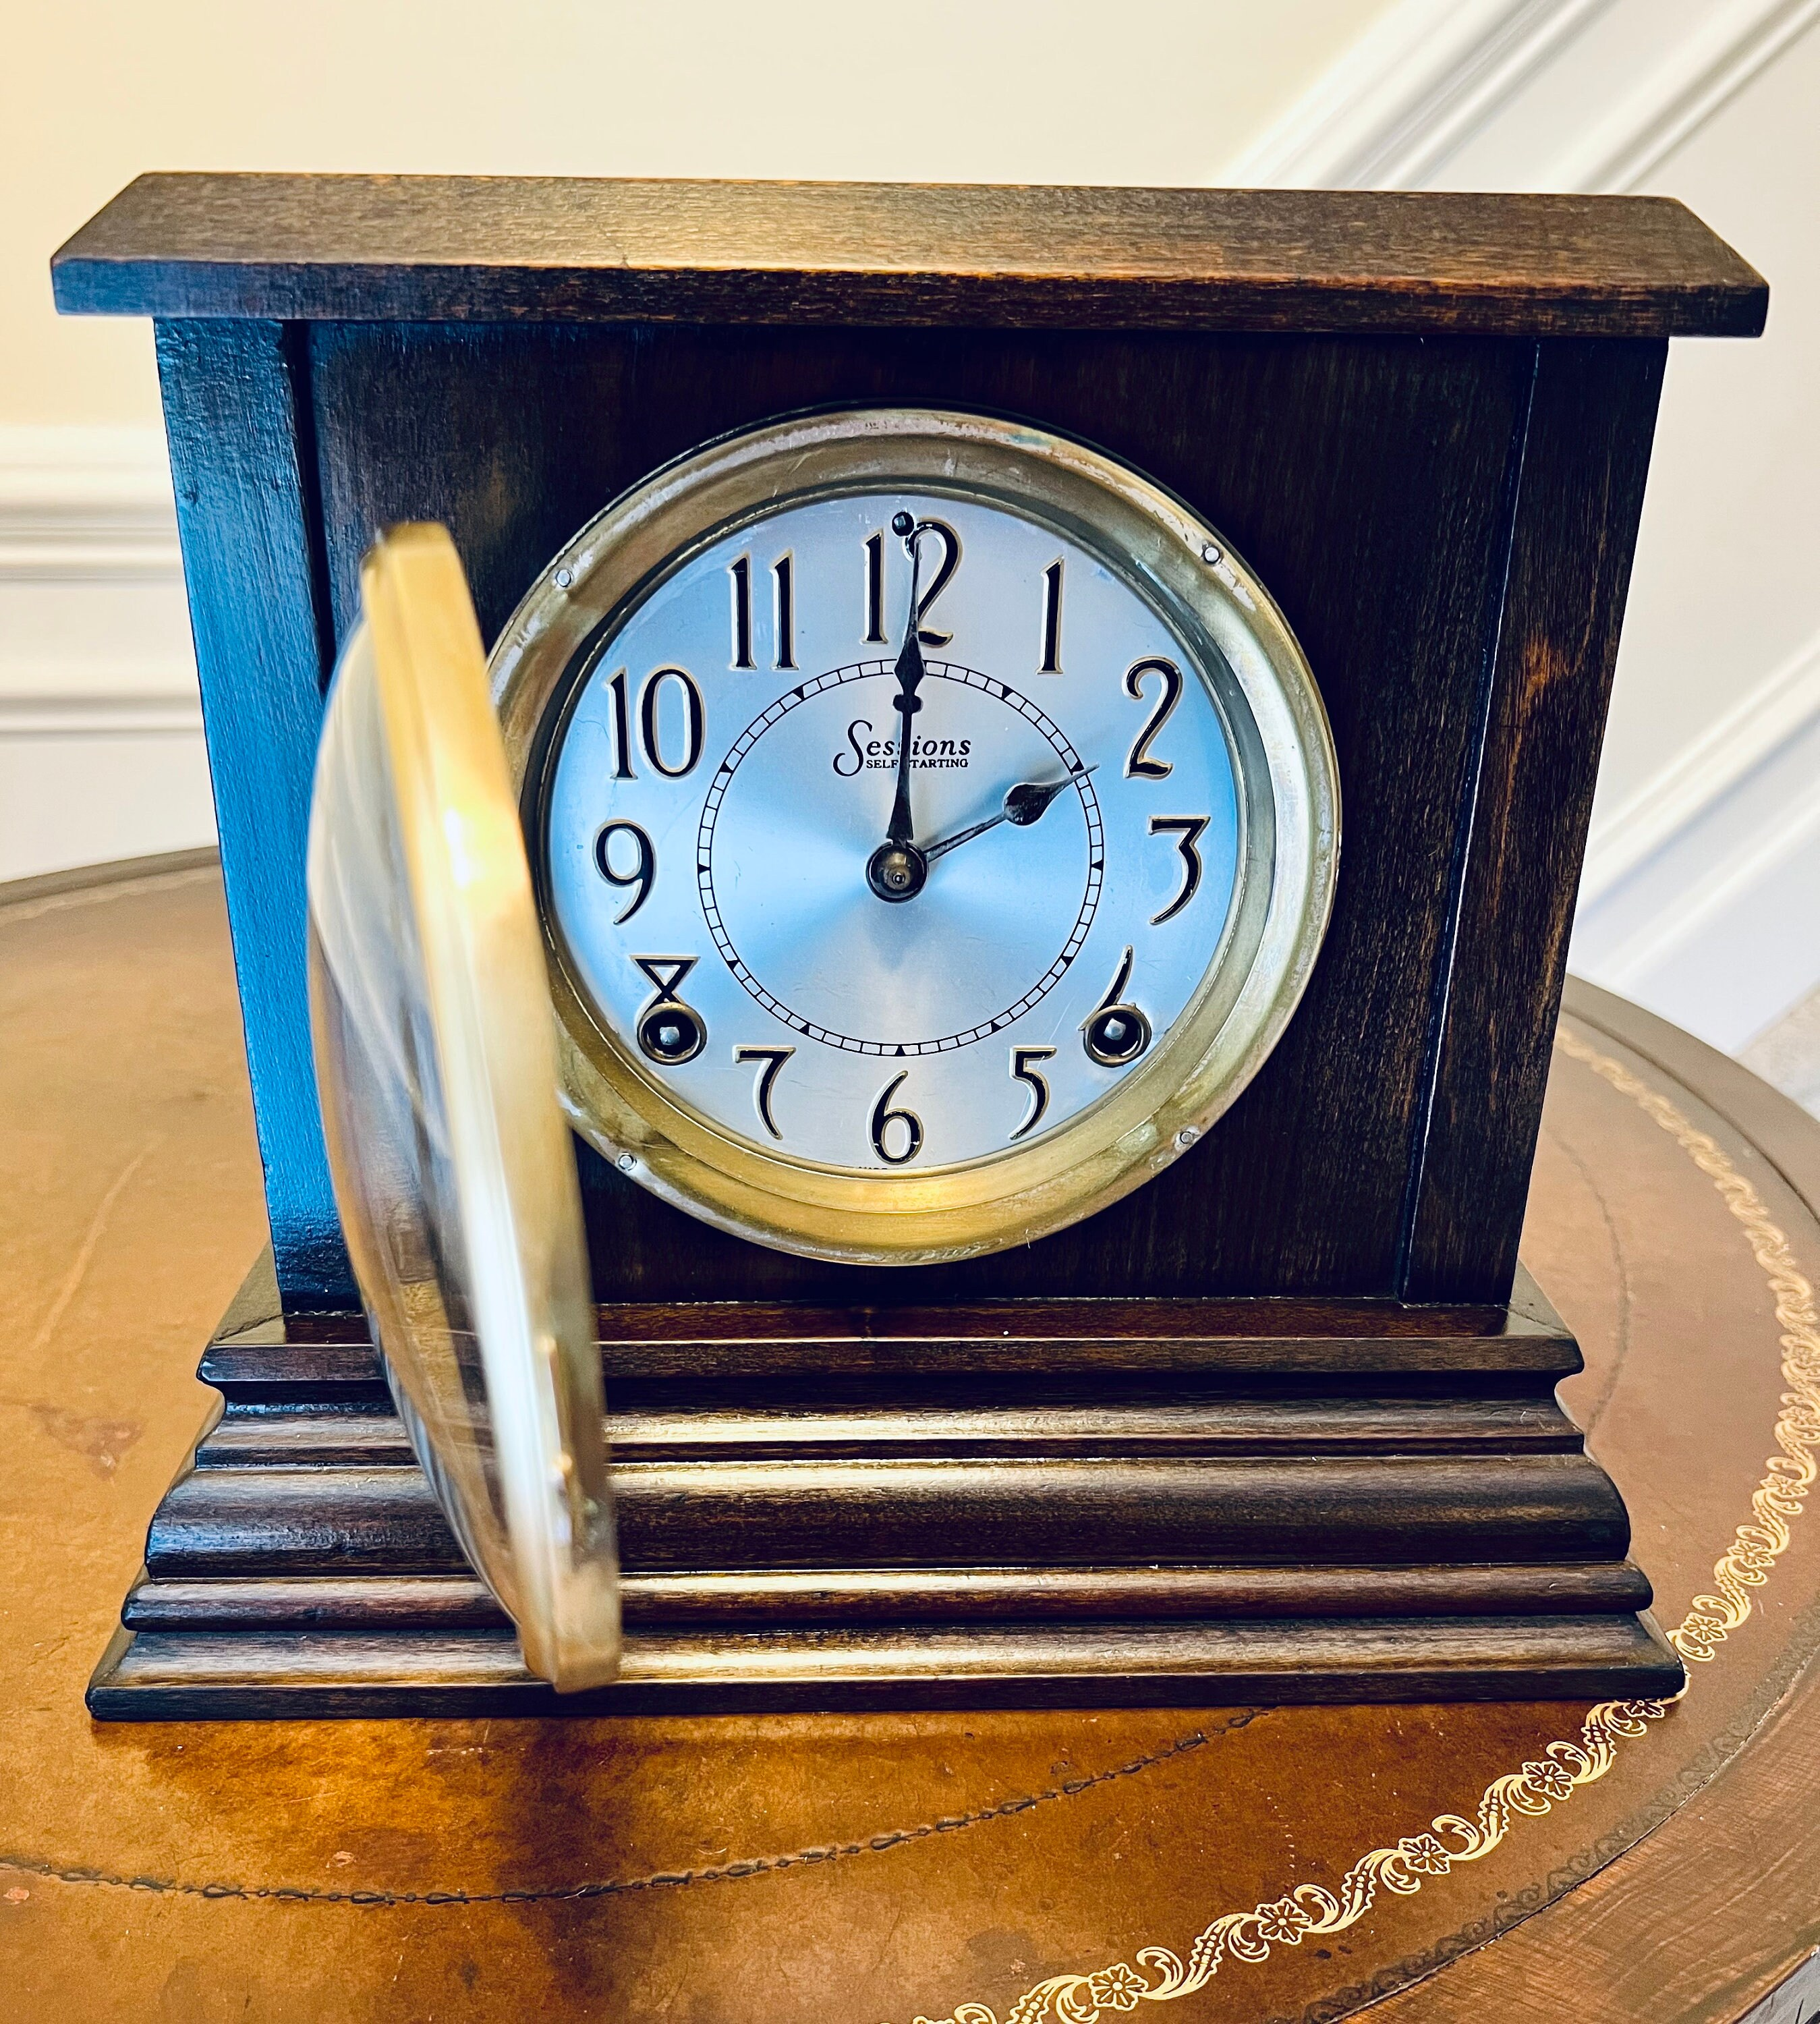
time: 2:00
